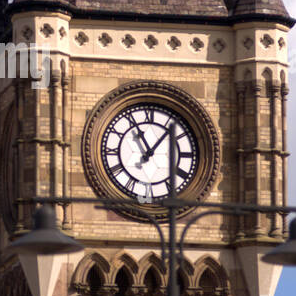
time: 11:06
